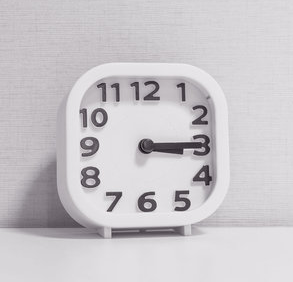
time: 3:14
